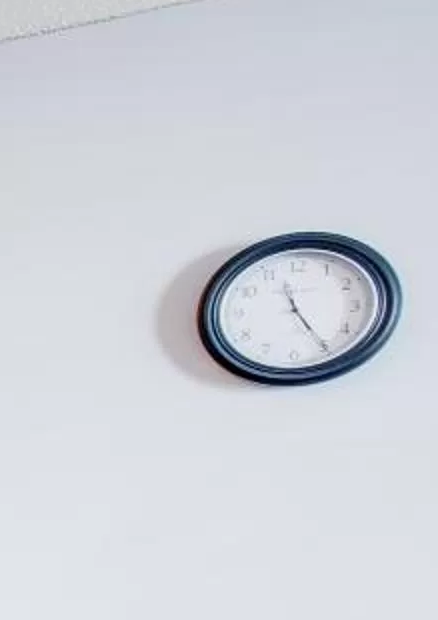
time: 11:24
